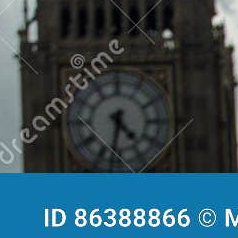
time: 4:32
